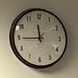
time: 11:44
